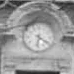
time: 6:21
